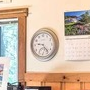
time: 9:23
